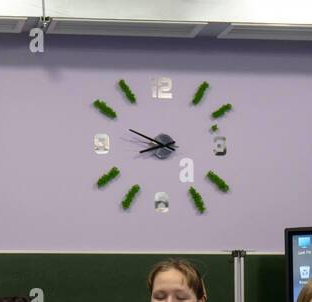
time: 8:49
